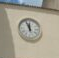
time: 11:56
